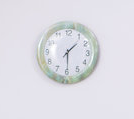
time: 1:29
